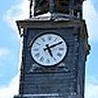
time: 5:09
